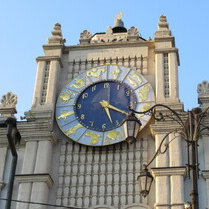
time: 5:19
